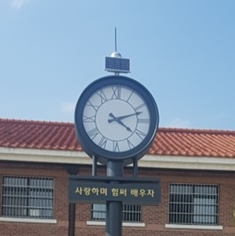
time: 4:11
